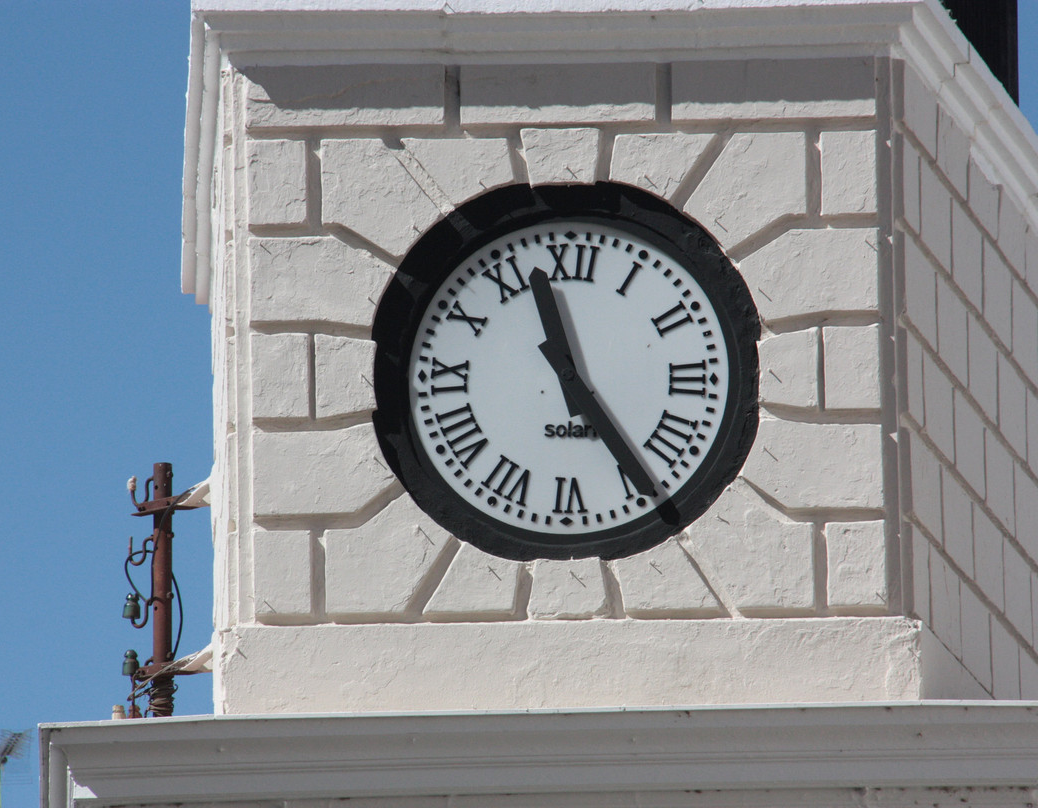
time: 11:24
